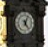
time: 5:04
